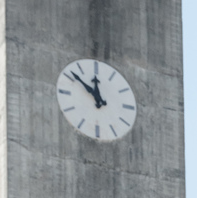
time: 11:51
